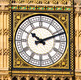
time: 10:11
